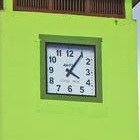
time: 4:05
